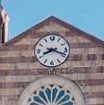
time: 8:18
